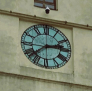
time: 2:38
